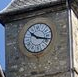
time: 10:17
